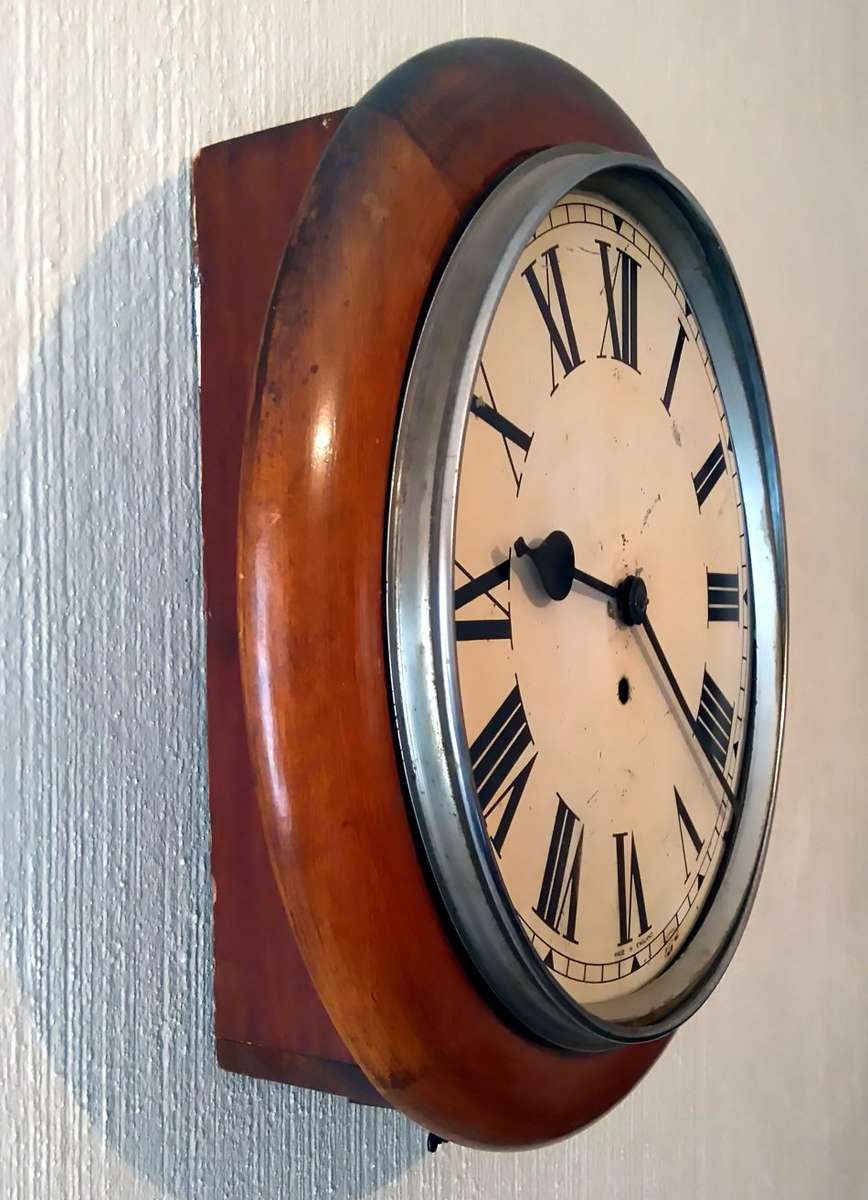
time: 9:21
